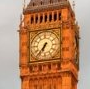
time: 6:36
